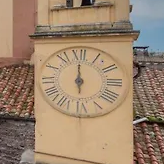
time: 11:59
